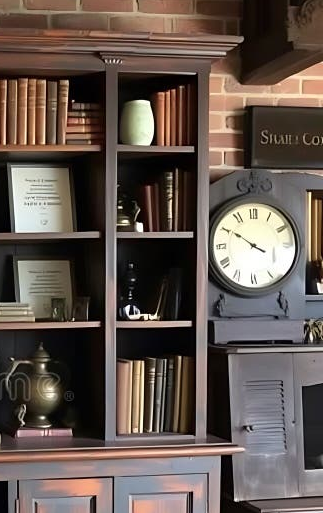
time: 3:50
